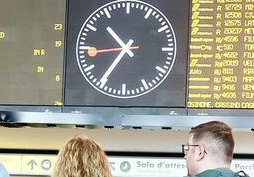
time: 10:35
